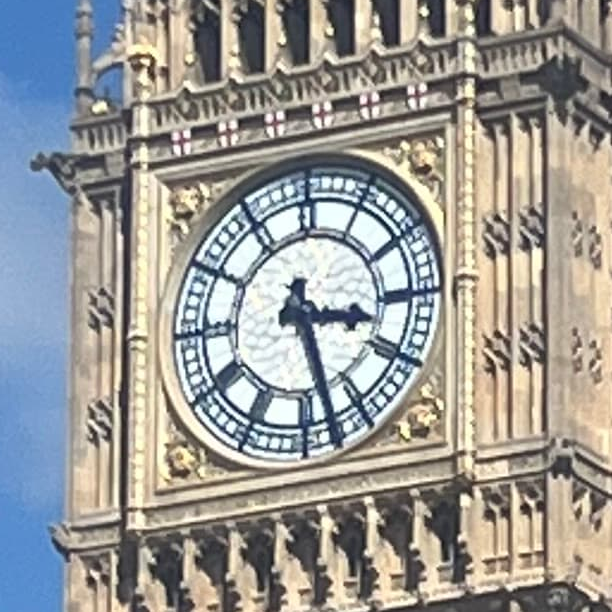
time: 3:27
